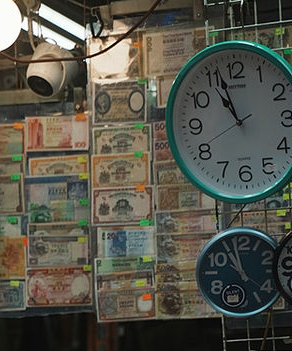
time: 10:56
